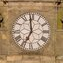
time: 6:58
